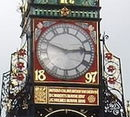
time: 2:48
